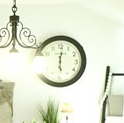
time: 6:01
